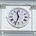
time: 11:33
